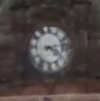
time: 4:12
